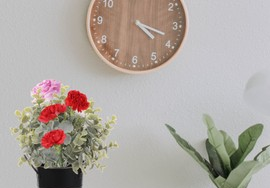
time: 4:18
